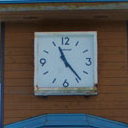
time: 11:23
